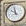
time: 9:57
